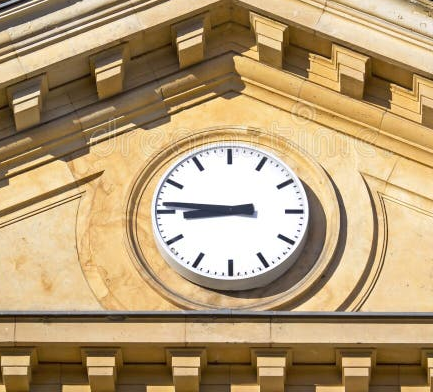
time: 8:45
